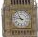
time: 10:47
